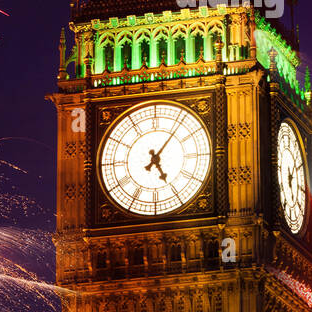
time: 5:06
